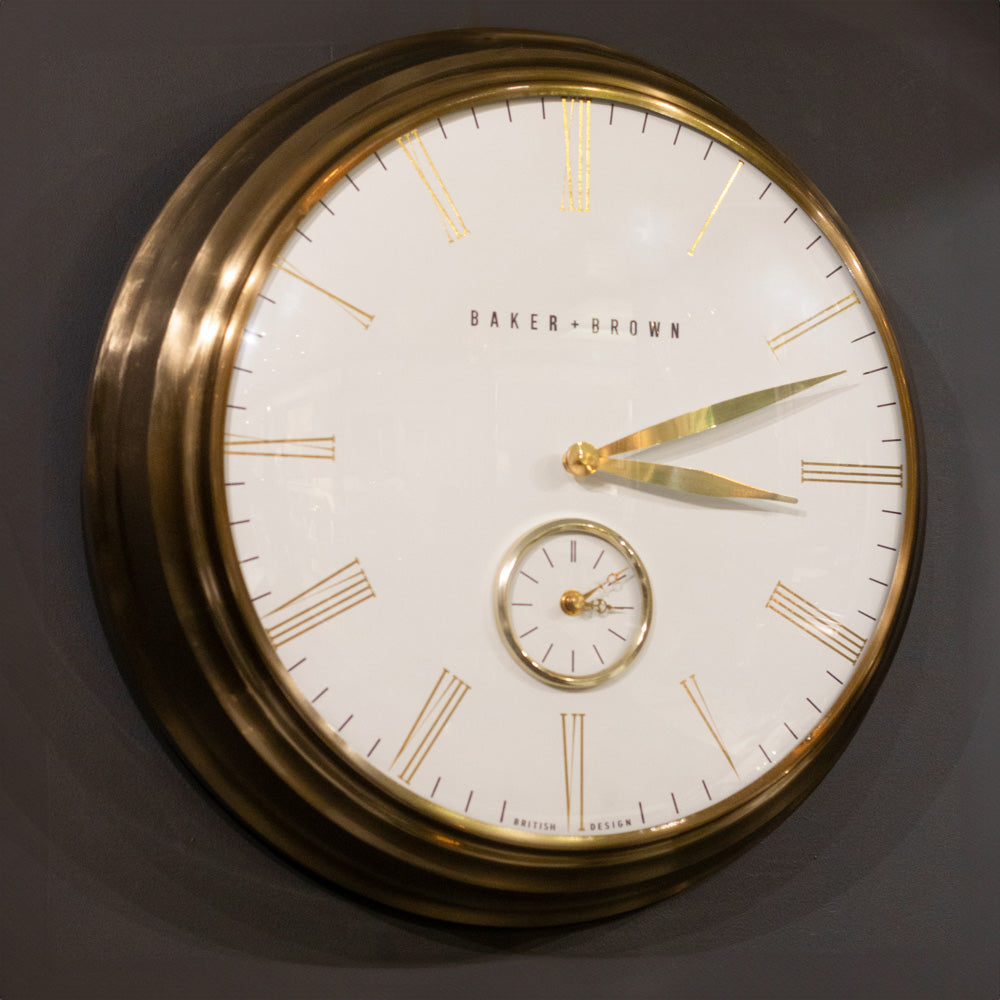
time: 3:11
